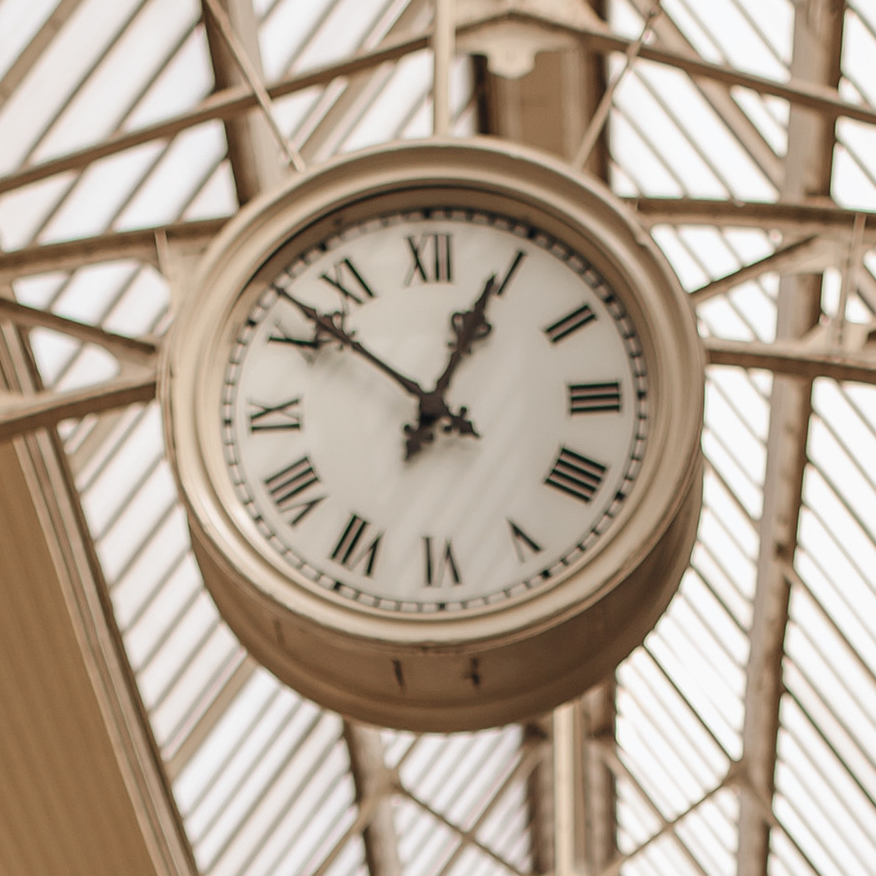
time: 12:52
